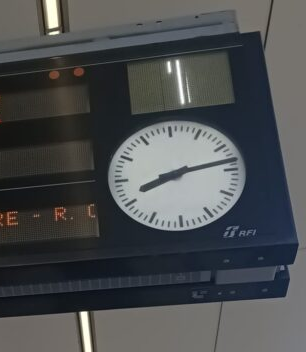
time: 8:13
